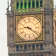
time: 9:21
